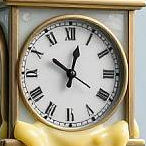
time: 10:02
